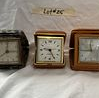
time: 9:25
